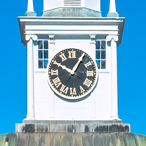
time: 10:05
